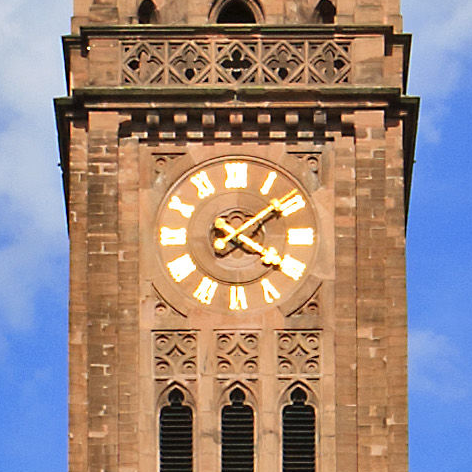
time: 4:09
